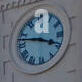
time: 3:47
